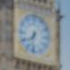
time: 7:32
